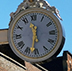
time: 11:32
